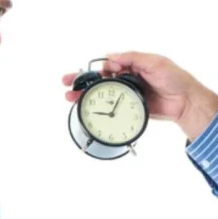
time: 9:04
